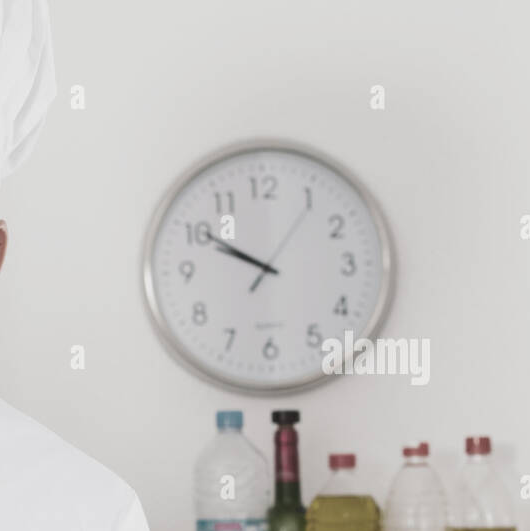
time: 9:50
